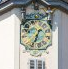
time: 6:34
